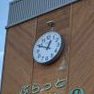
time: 12:49
